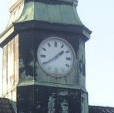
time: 1:39
